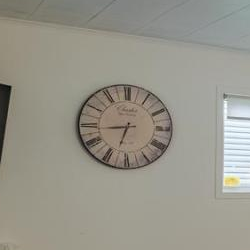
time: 6:43
